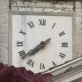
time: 7:38
